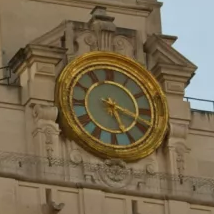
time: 5:18
